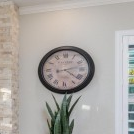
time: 4:12
